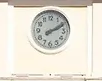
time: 2:09
